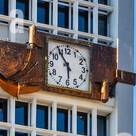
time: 5:54
